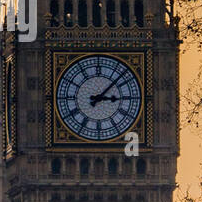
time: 3:07
